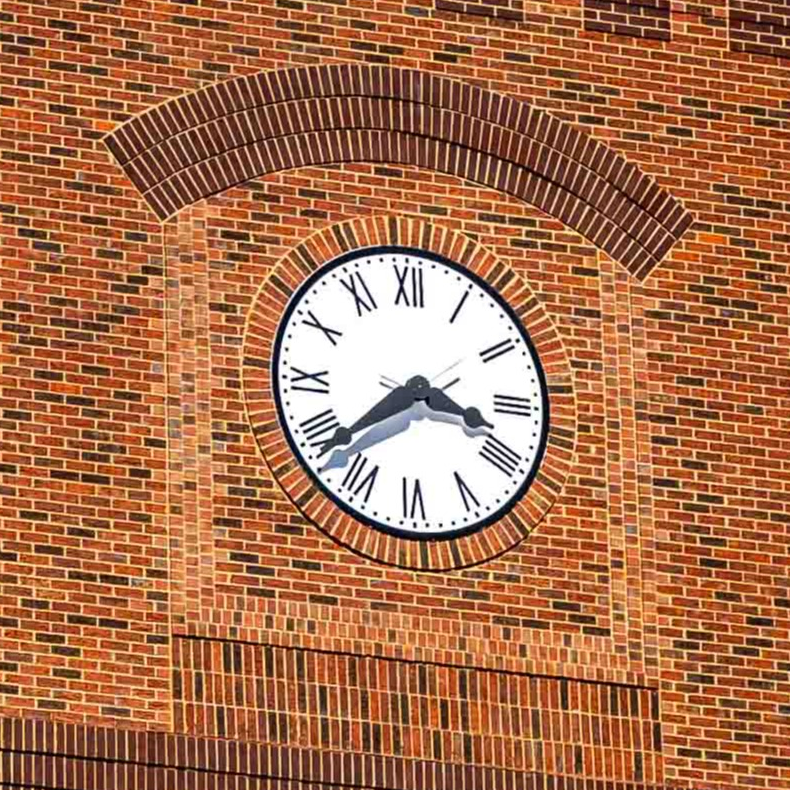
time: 3:38
